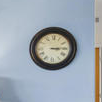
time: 3:14
